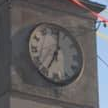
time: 7:01
